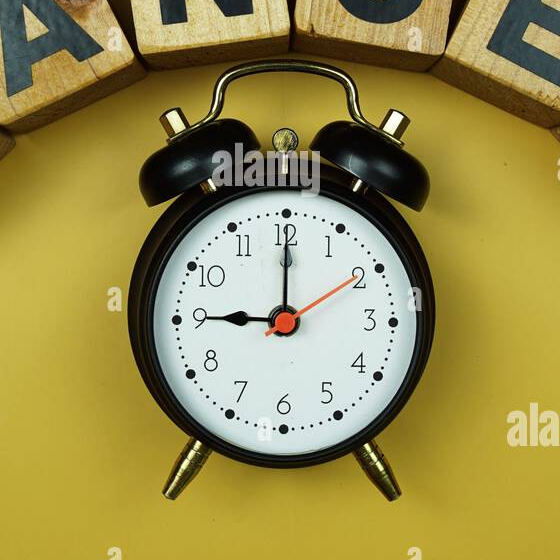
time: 9:00
